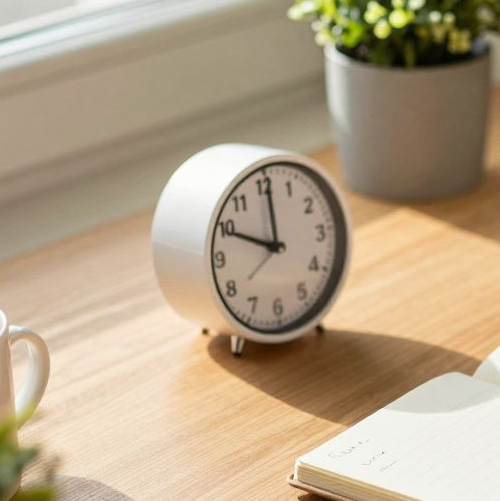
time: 10:00
